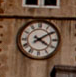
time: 4:09
